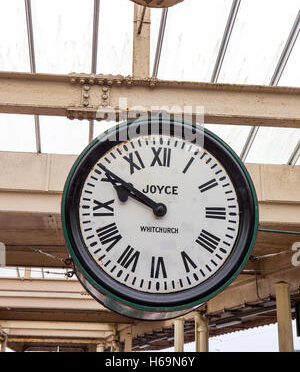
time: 9:50
